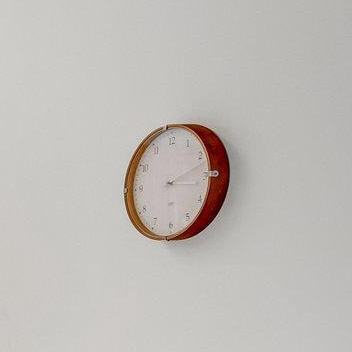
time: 3:12
